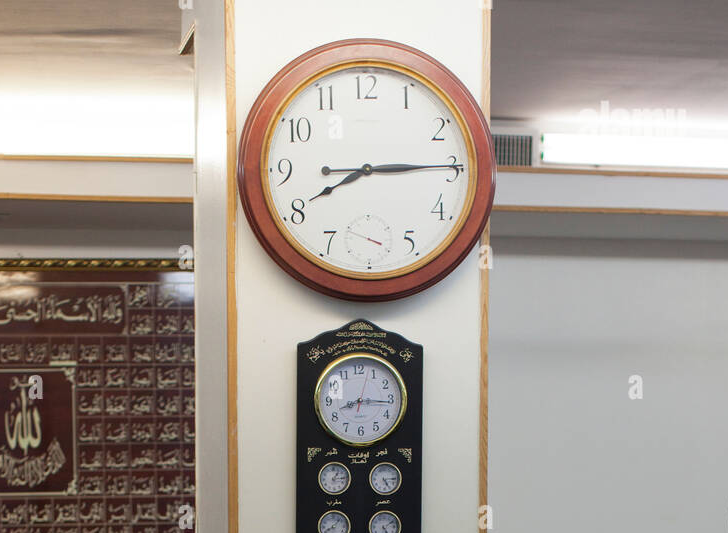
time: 8:14
